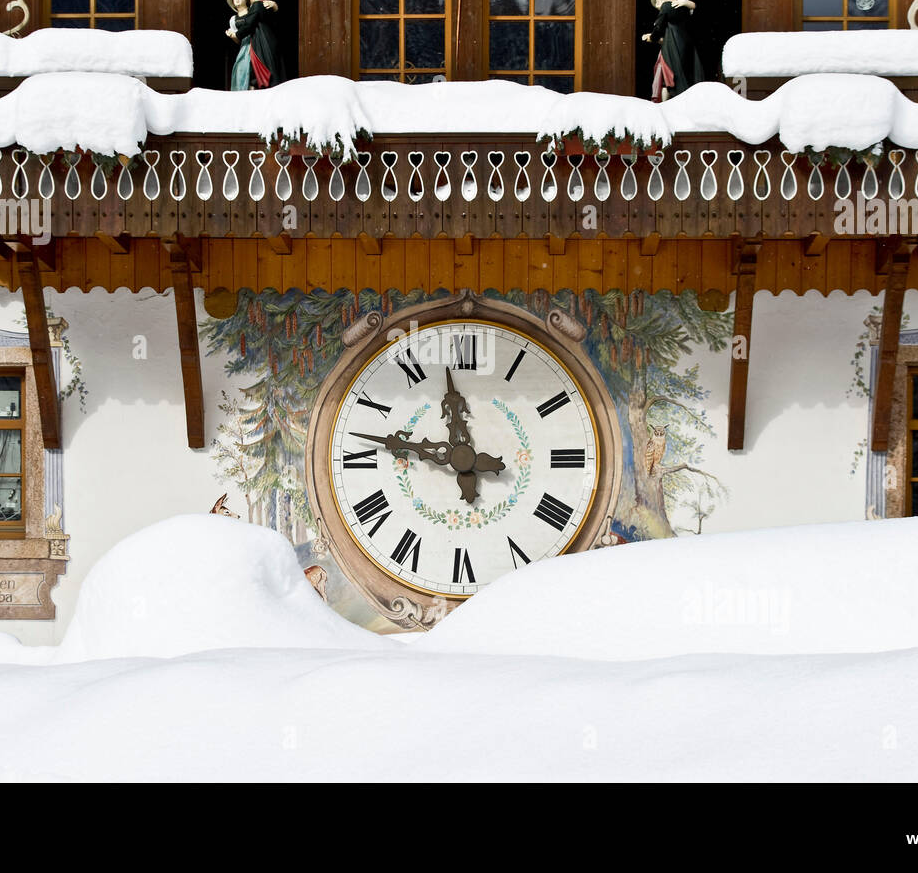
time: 11:46
